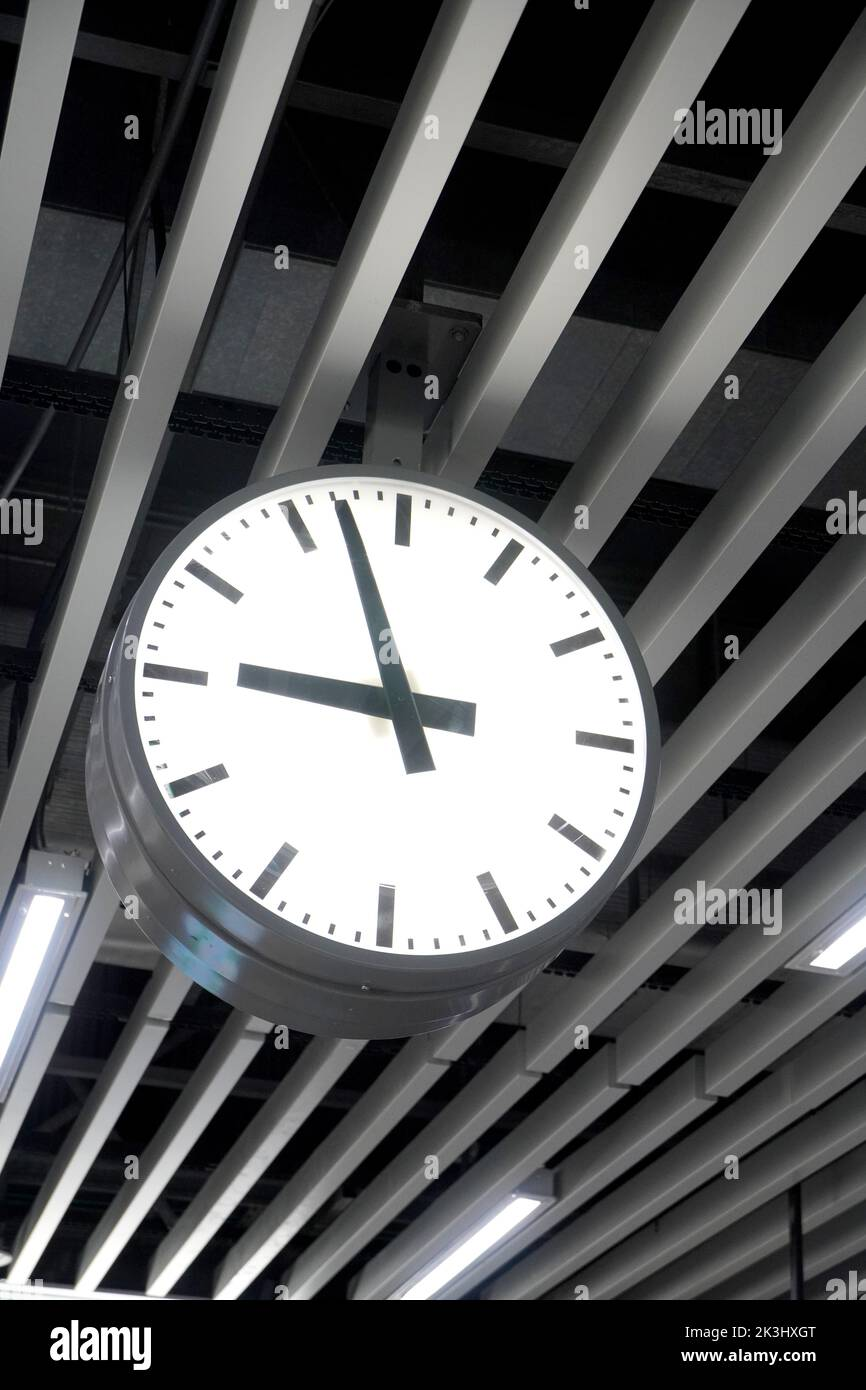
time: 8:57
